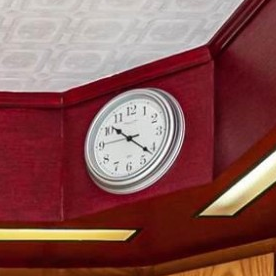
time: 10:21
